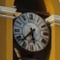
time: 5:37
